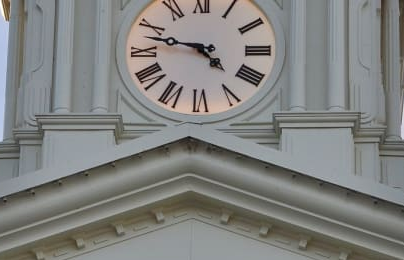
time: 4:47
